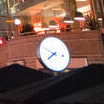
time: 7:49
